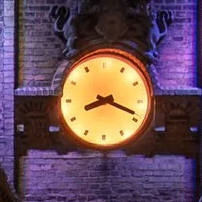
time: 8:18
